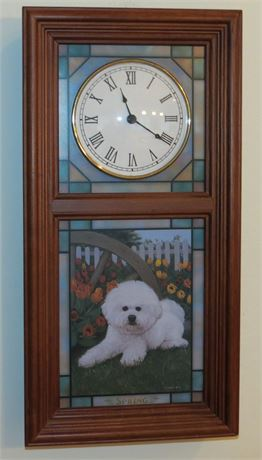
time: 11:19
